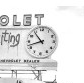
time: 10:42
